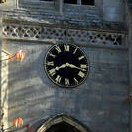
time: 8:17
